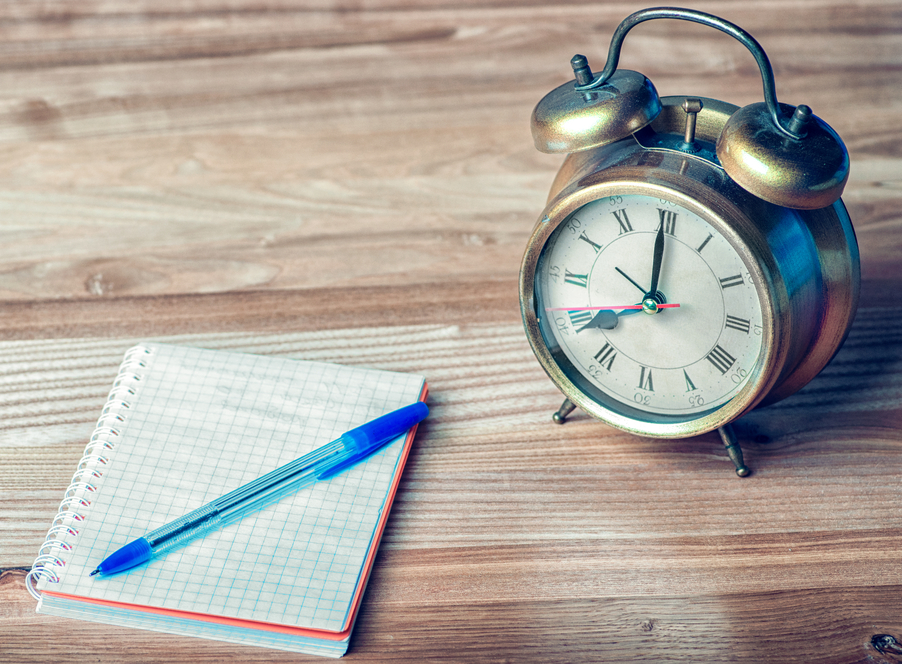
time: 7:59
